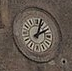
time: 2:02
